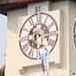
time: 5:35
